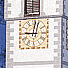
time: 9:01
